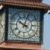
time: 10:02
